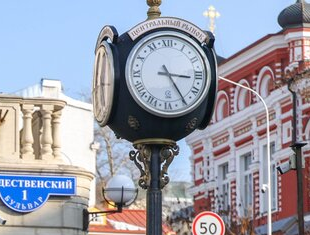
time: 3:24
